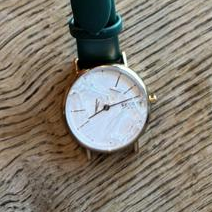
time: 8:12
